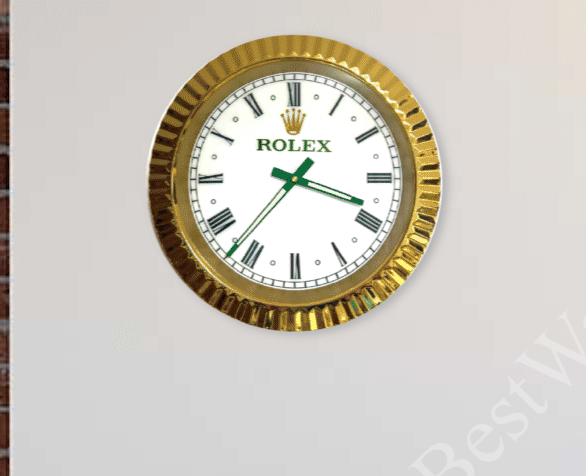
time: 3:36
